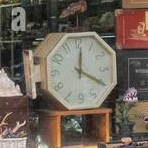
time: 12:19
